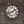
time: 1:42
